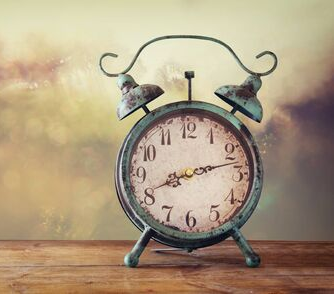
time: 8:12
